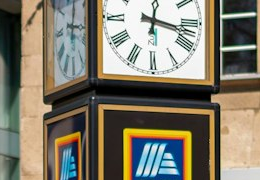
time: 12:17
